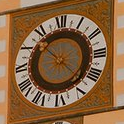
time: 10:22
